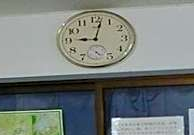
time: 9:02
